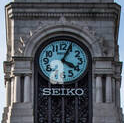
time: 4:04
